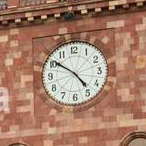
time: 4:50
